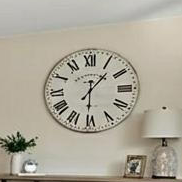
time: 1:30
